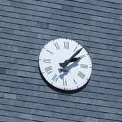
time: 2:06
